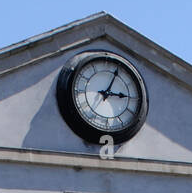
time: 3:04
